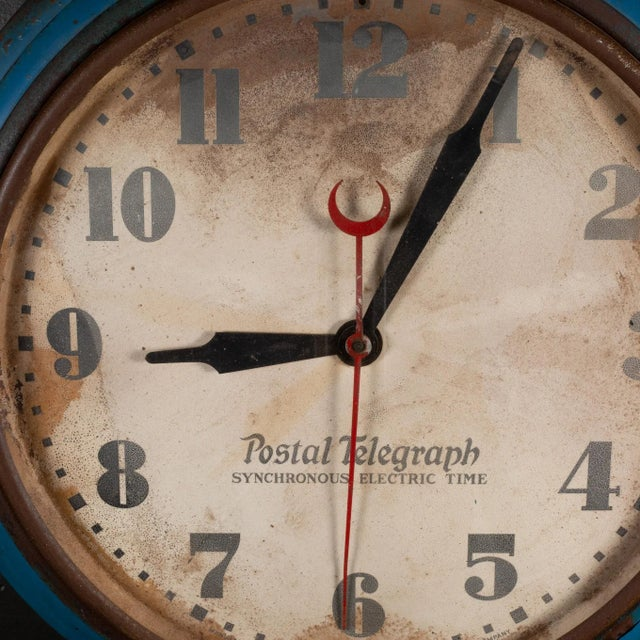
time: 9:05
